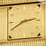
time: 2:40
